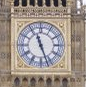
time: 11:26
